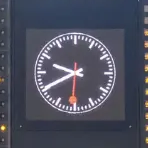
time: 9:40
